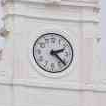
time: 2:22
